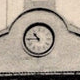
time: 10:45
